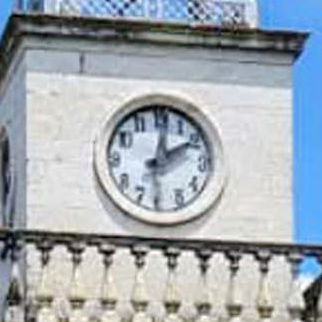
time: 2:01
